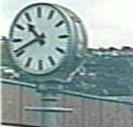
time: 10:41
